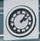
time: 2:06
